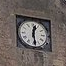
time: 12:28
